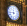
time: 11:44
